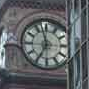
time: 6:57
